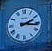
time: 2:16
